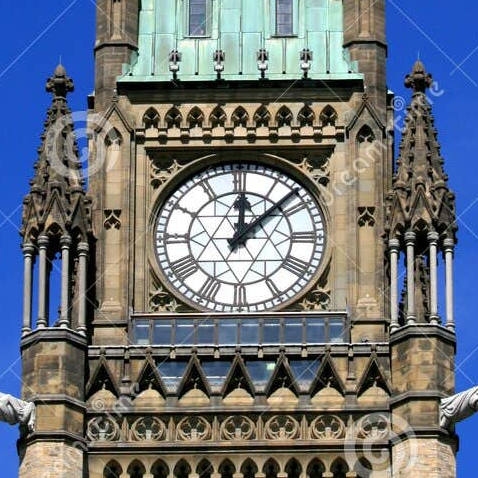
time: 12:07
